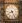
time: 8:24
